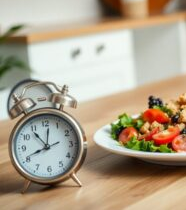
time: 10:41
